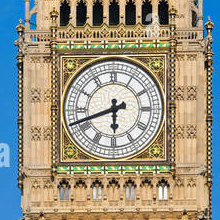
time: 5:41
